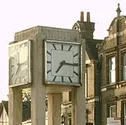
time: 7:15
